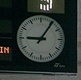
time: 9:05
